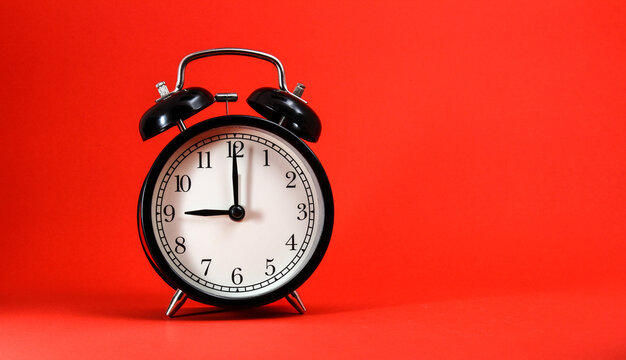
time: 9:00
